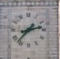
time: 2:37
